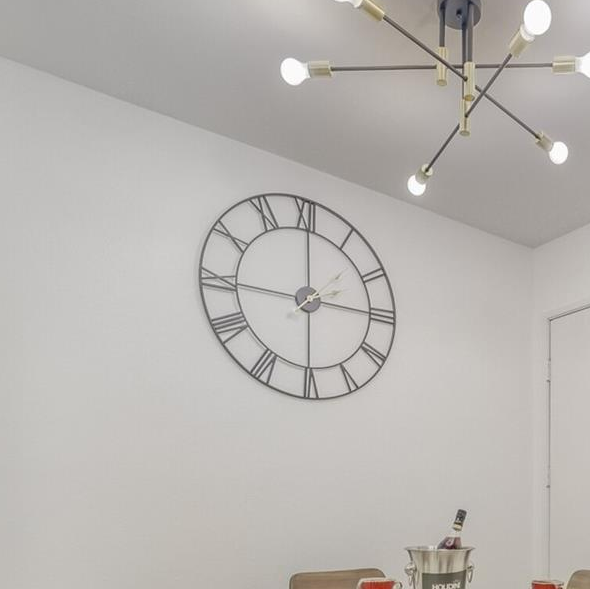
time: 2:00
